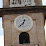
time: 12:37
